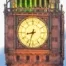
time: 8:33
